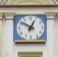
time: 12:51
